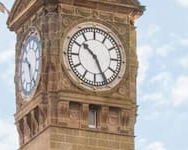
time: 10:25
